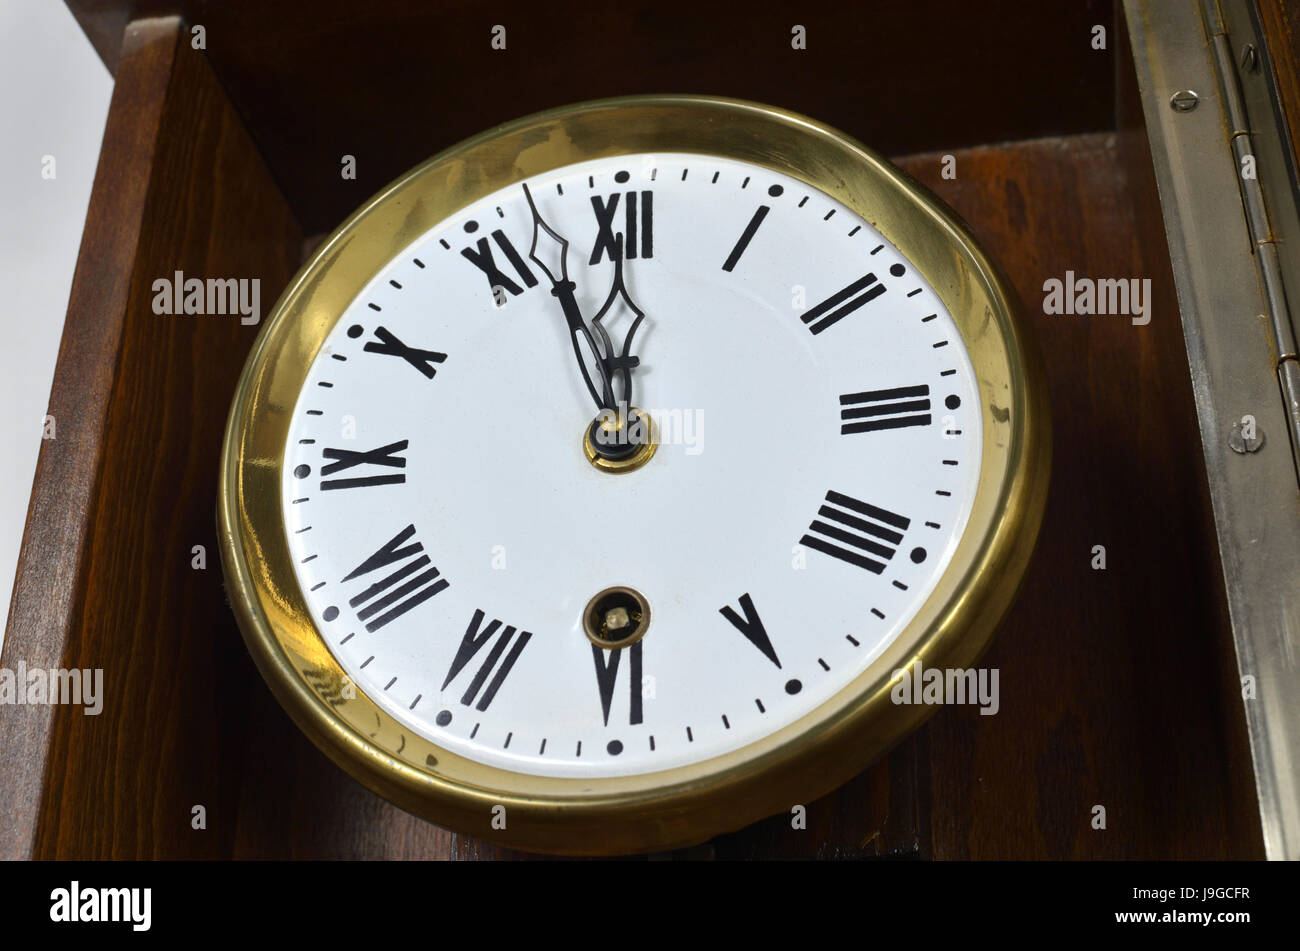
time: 11:56
